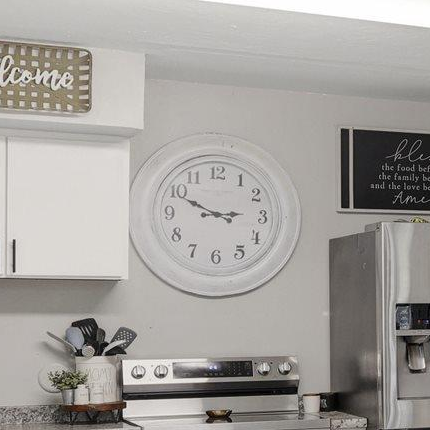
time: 2:49
